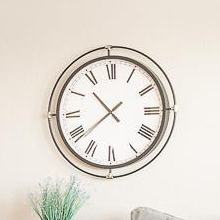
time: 10:38
